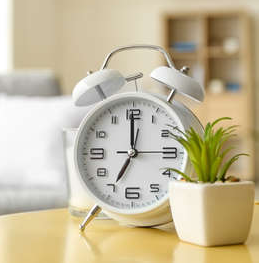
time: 6:59
